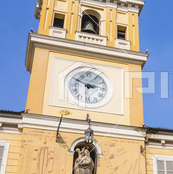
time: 2:49
